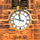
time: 11:47
